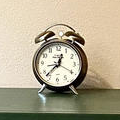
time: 12:37
